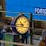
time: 10:43
